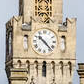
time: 10:22
